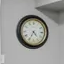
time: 4:34
